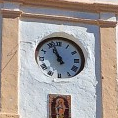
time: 10:56
